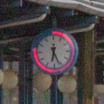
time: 6:26
